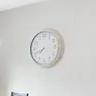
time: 7:41
